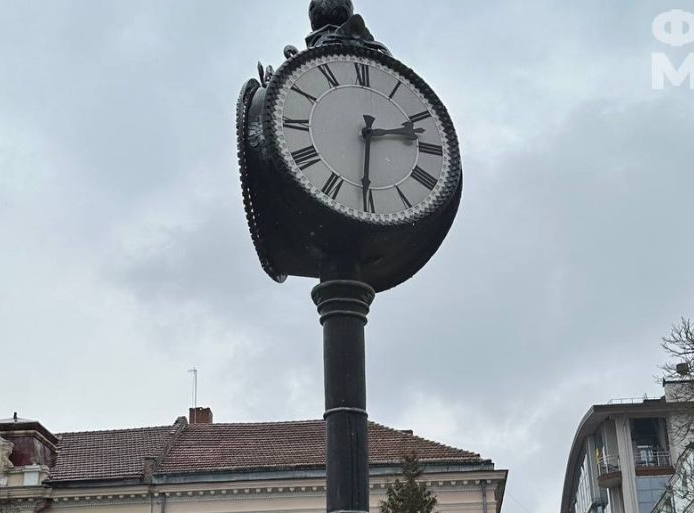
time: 2:30
